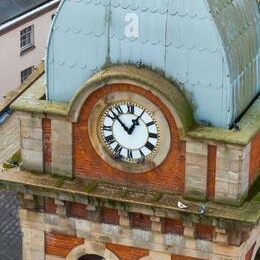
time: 12:52
